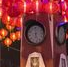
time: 6:27
